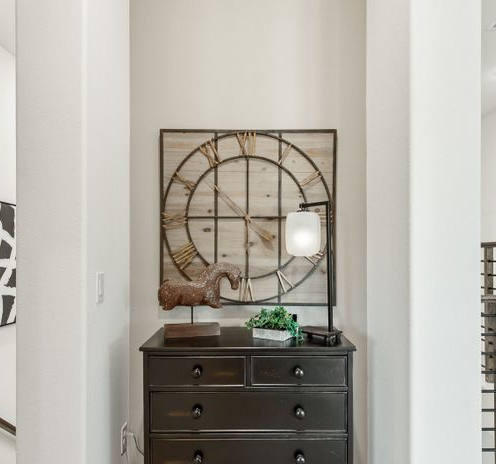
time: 2:45
